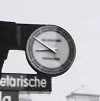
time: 8:51
